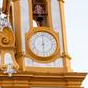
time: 6:00
